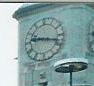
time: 9:17
